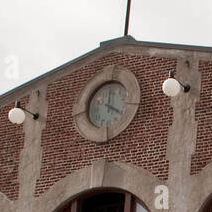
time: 4:00
